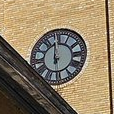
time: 11:59
